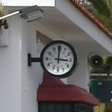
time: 3:00
